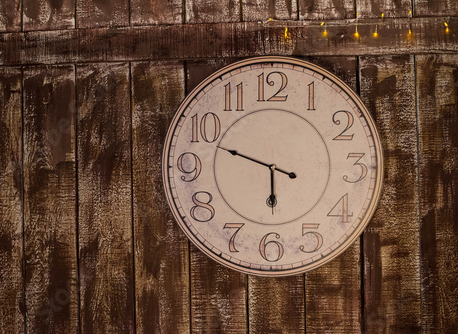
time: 5:48
